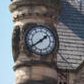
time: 1:39
